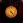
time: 4:23
